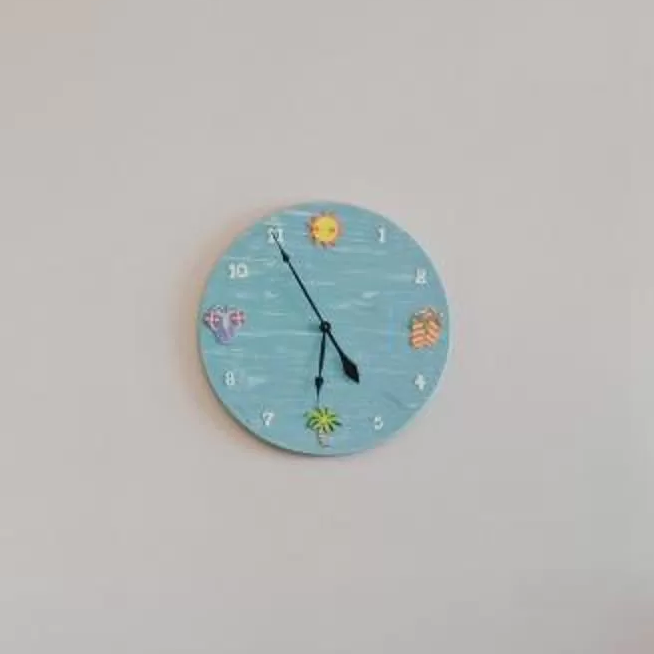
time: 4:54
